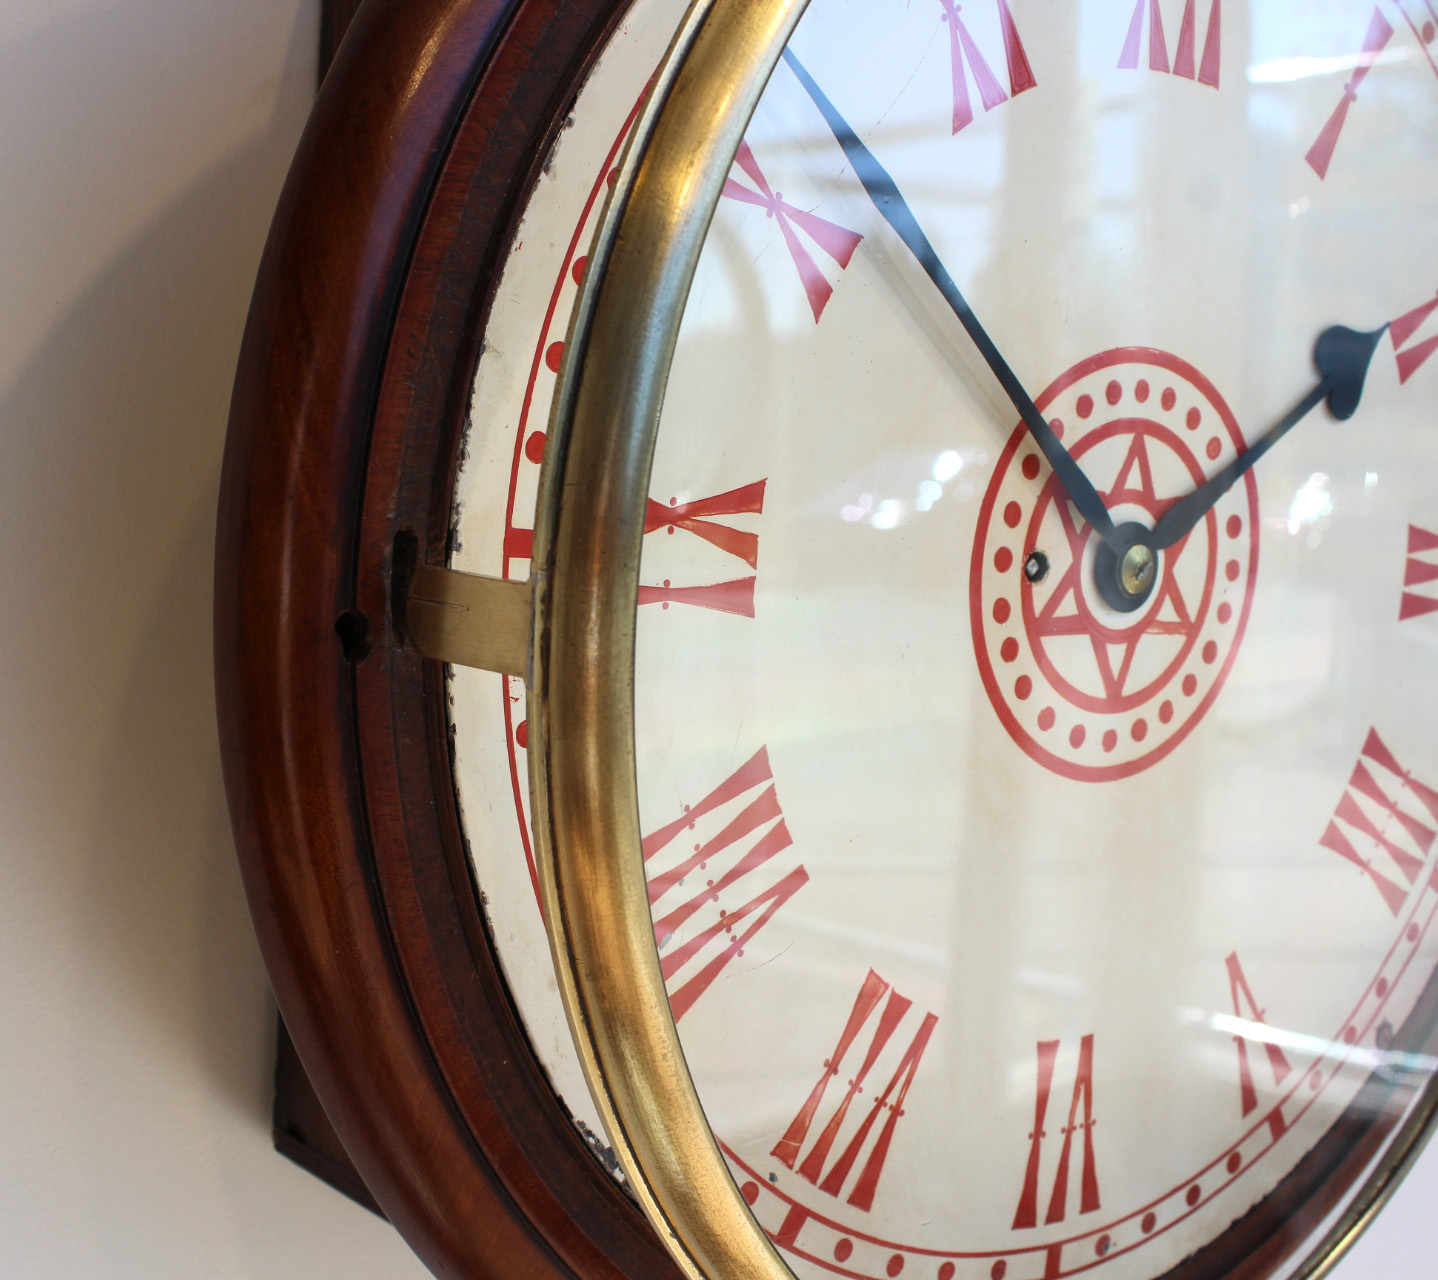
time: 1:51
